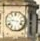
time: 9:17
